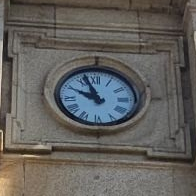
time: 9:56
